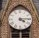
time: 4:14
